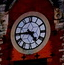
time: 4:44
